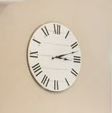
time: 3:12
